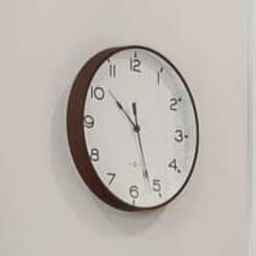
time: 10:26
